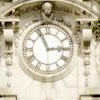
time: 2:56
